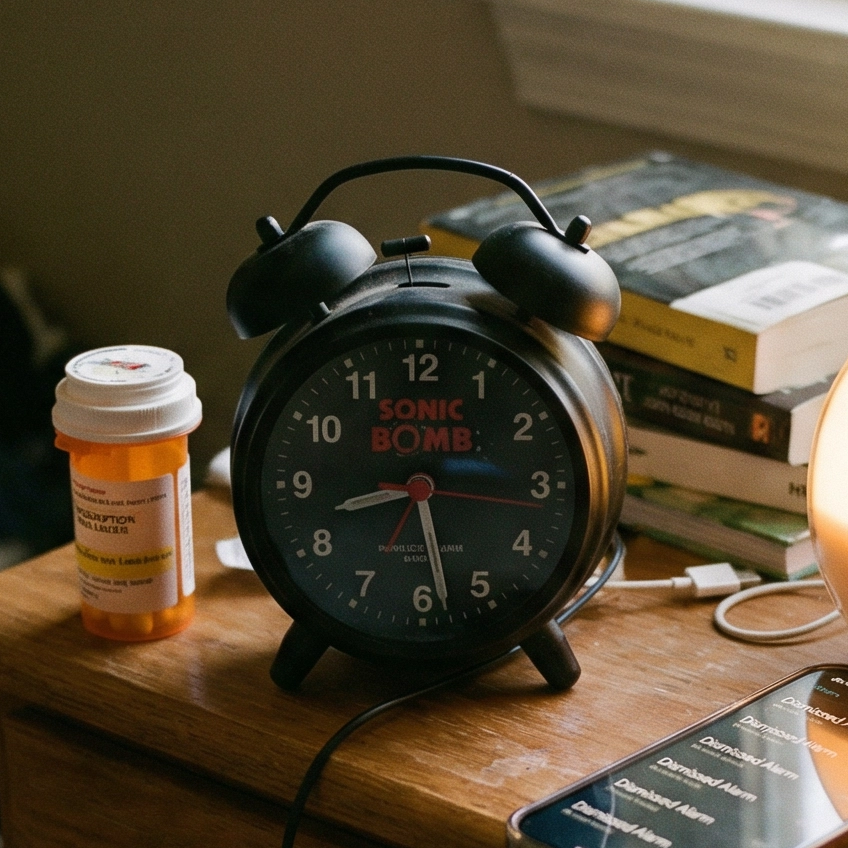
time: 8:28
